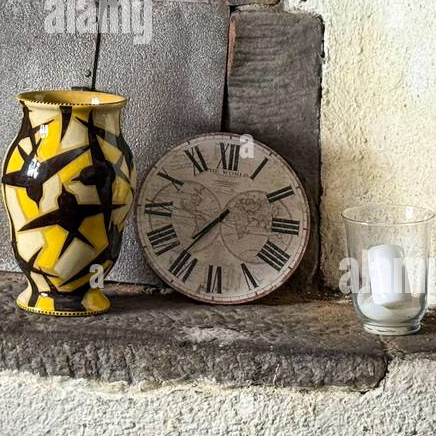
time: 7:36
